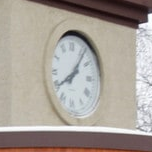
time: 8:06
